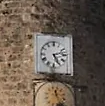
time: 5:12
